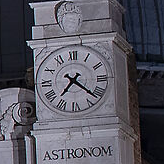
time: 7:21
